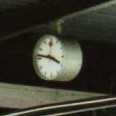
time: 3:46
